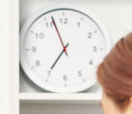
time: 6:56
